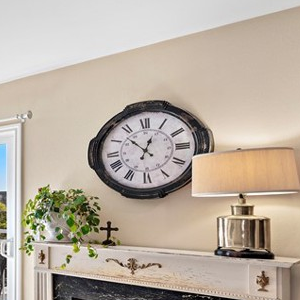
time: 12:52
